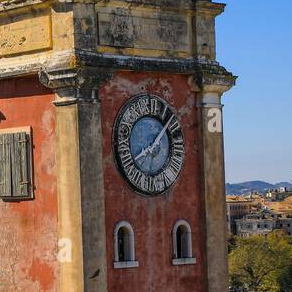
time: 8:07
